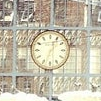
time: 1:33
